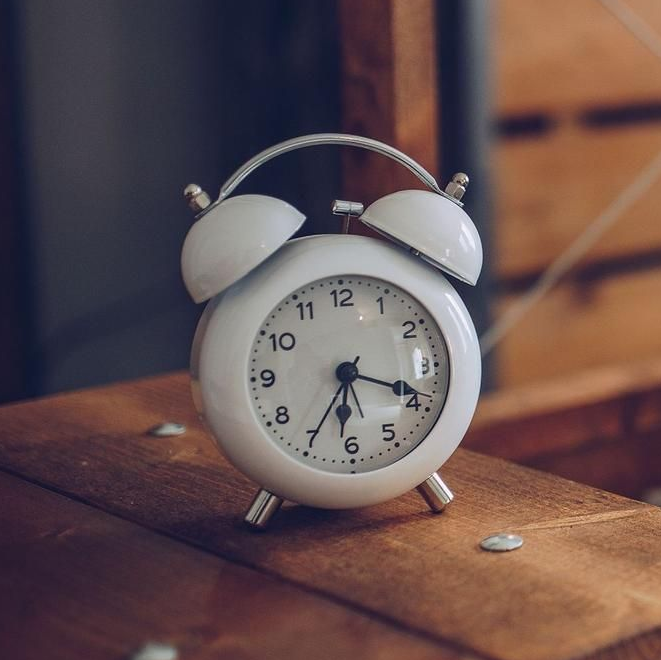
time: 6:18
